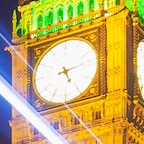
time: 5:13
